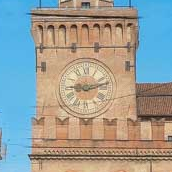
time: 9:12
